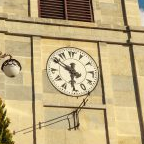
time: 5:50
